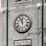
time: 11:56
